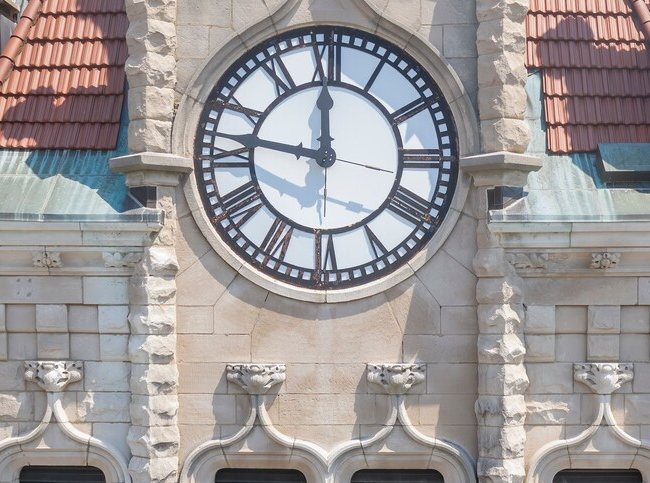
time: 11:46
